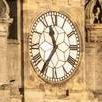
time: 11:35
